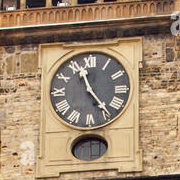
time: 11:23
